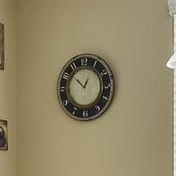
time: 12:52
